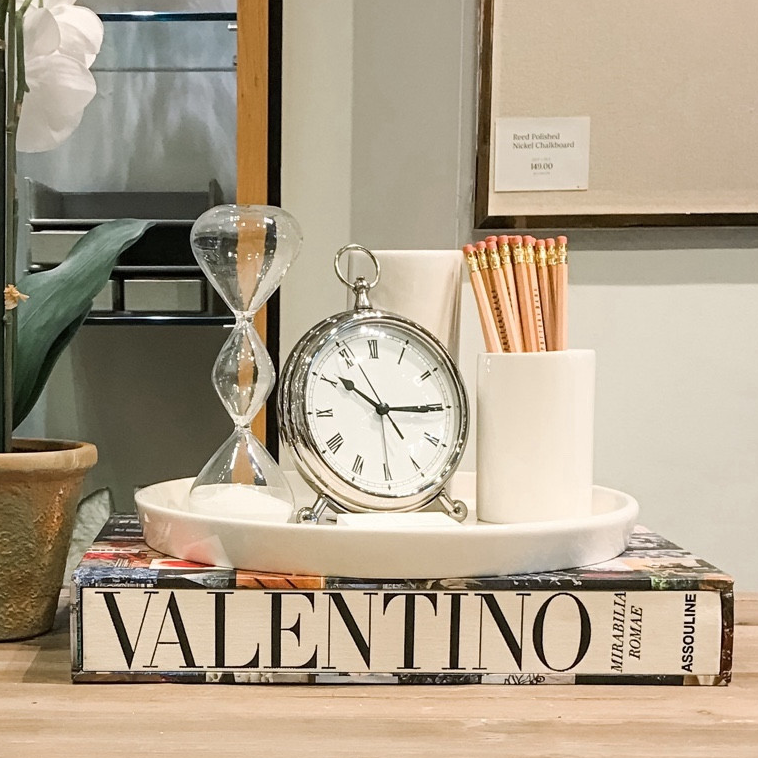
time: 10:14
